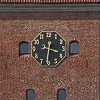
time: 3:31
